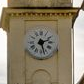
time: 2:27
